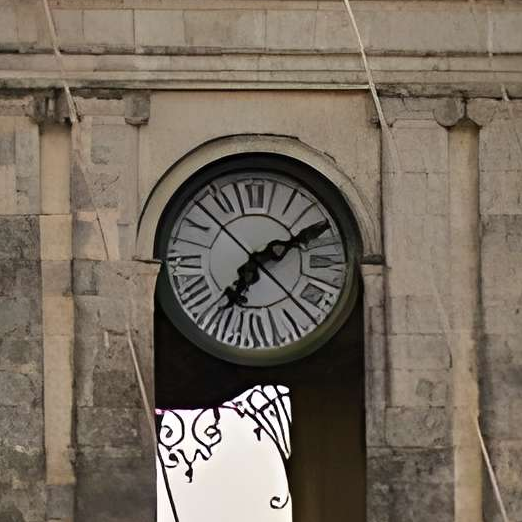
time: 7:10
